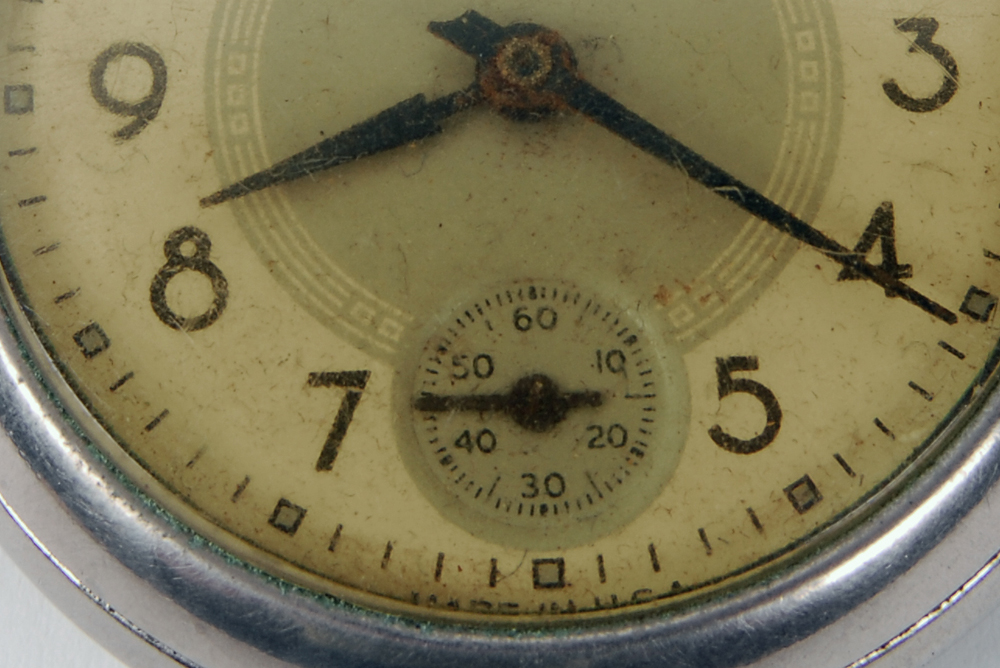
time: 8:20
